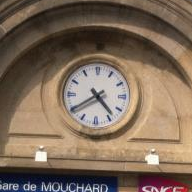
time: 4:39
